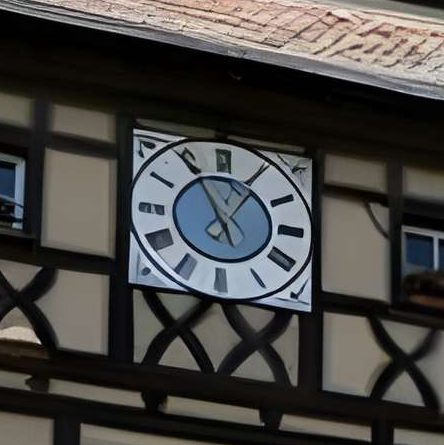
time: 12:55
